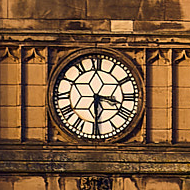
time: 3:29
